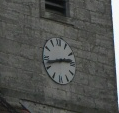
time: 2:42
